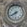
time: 7:40
